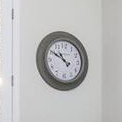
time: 10:50
